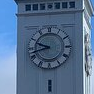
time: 9:42
